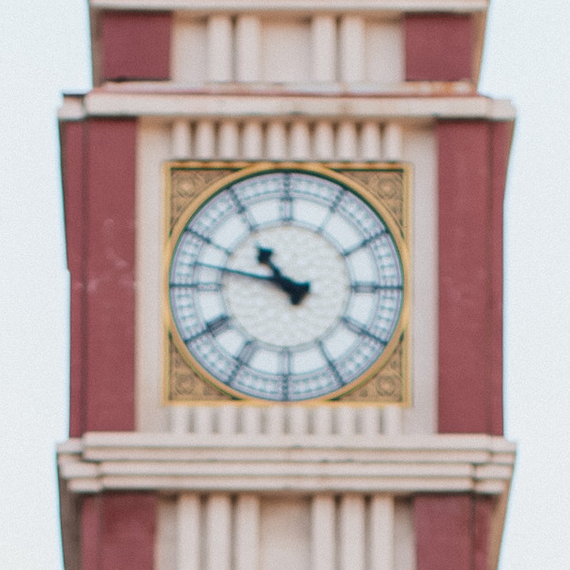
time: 10:47
